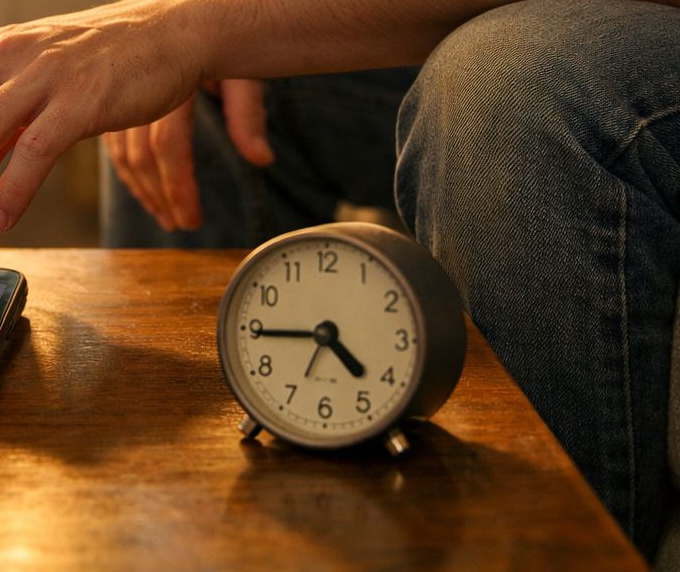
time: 4:44
